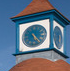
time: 5:24
